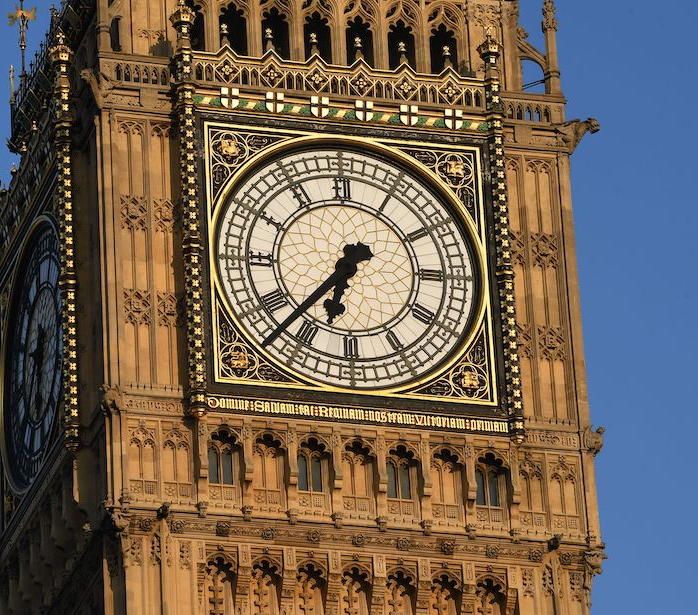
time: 6:37
